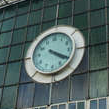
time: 4:20
